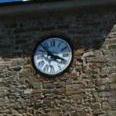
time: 3:52
